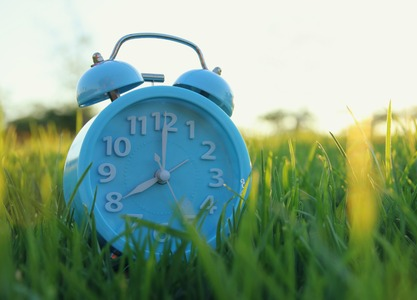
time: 8:00
